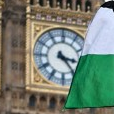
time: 3:23
